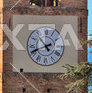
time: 4:41
